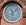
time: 11:07
